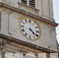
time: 4:21
